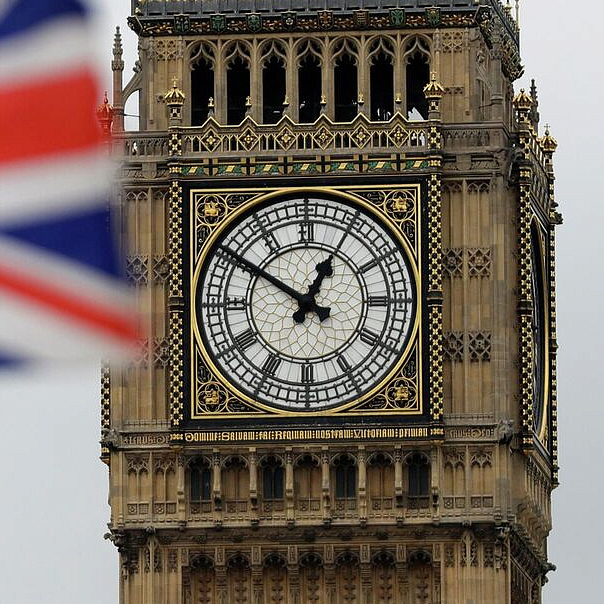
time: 12:50
